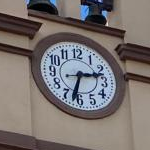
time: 2:32
